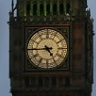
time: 4:44
